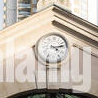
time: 4:12
